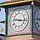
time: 9:16
